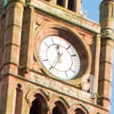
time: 11:34
